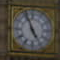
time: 4:56
